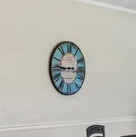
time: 8:45
